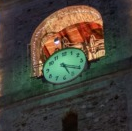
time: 5:19
